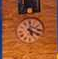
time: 5:18
